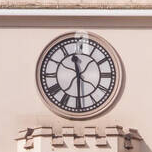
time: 11:29
